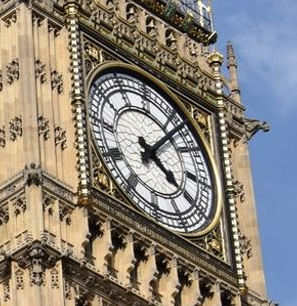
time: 4:06
